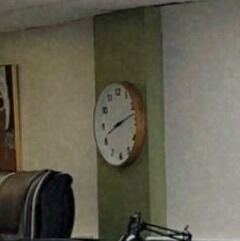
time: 8:12
